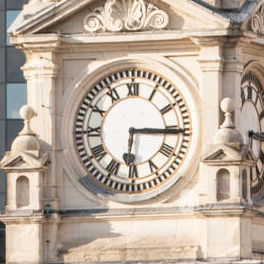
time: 6:15
